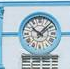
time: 10:07
